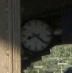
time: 8:21
